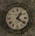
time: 1:20
